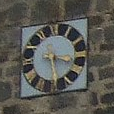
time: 3:28
